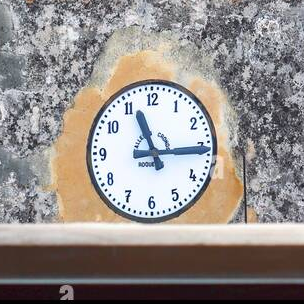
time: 11:14
